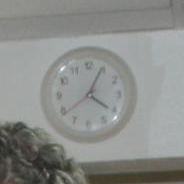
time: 4:04
